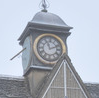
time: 11:11
